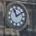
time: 11:09
